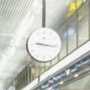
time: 9:16
